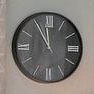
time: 11:55
